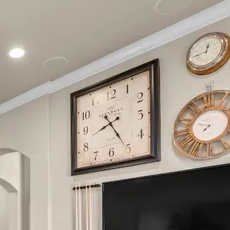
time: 8:24
